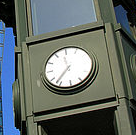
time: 11:36
